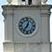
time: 12:36
